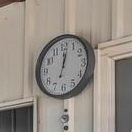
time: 12:01
